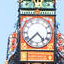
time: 4:37
